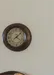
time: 4:07
